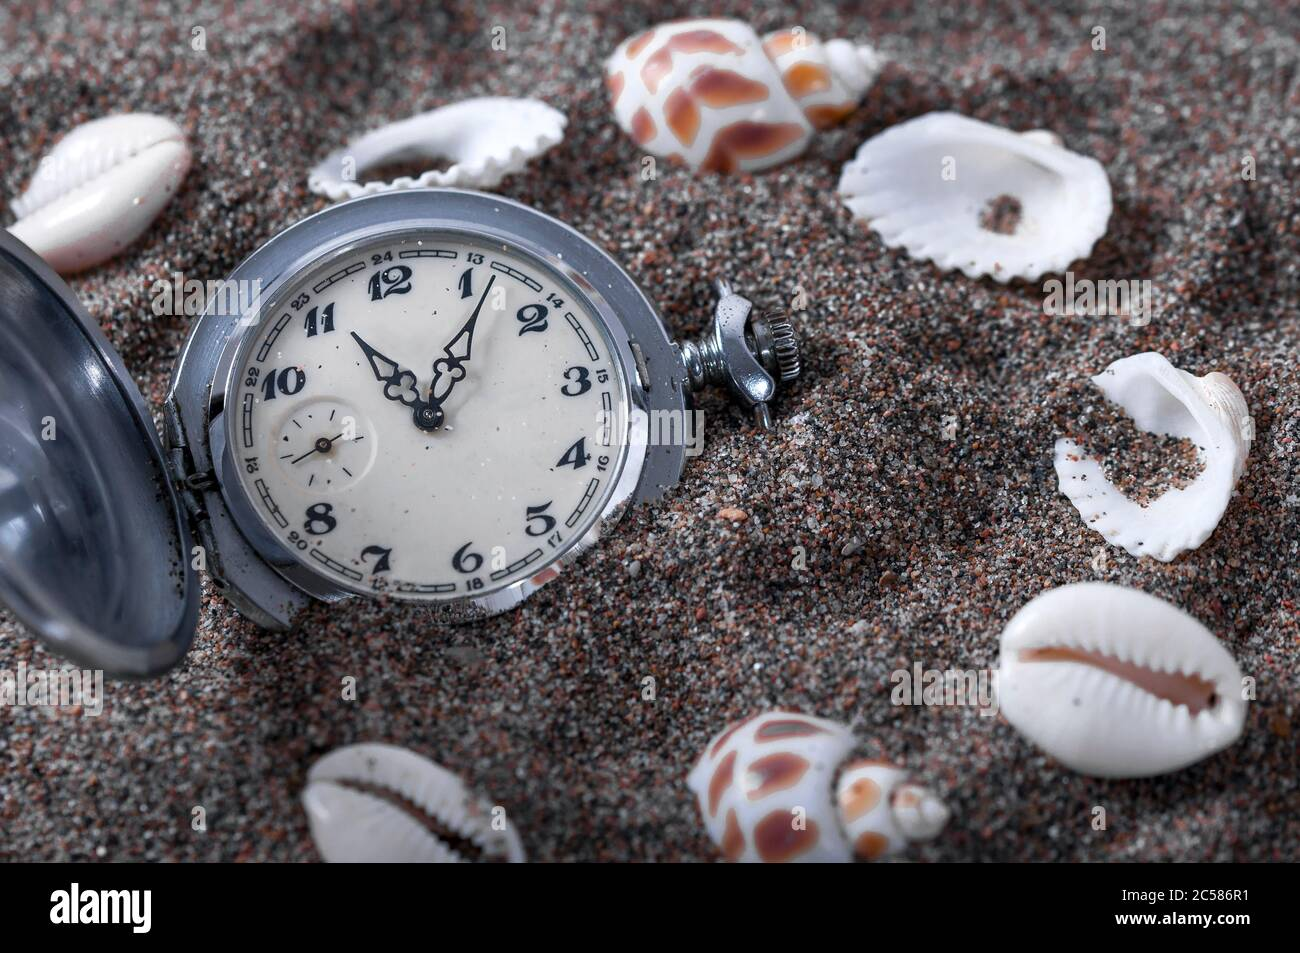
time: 11:06
